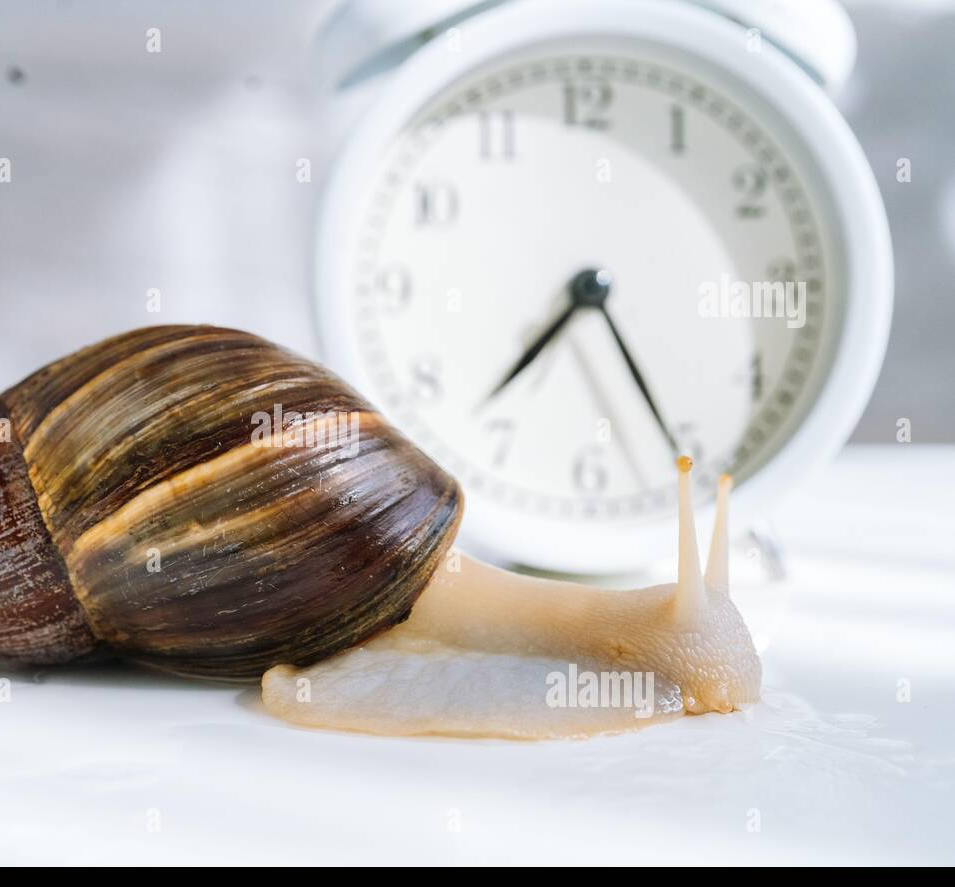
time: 7:25
